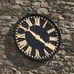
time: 10:20
